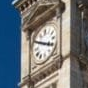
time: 3:49
